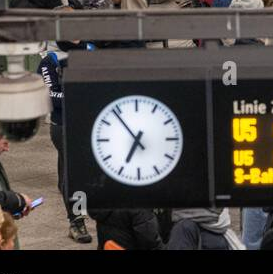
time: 6:53
